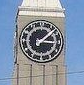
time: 3:07
